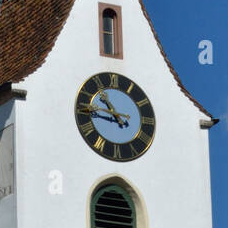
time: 10:45
